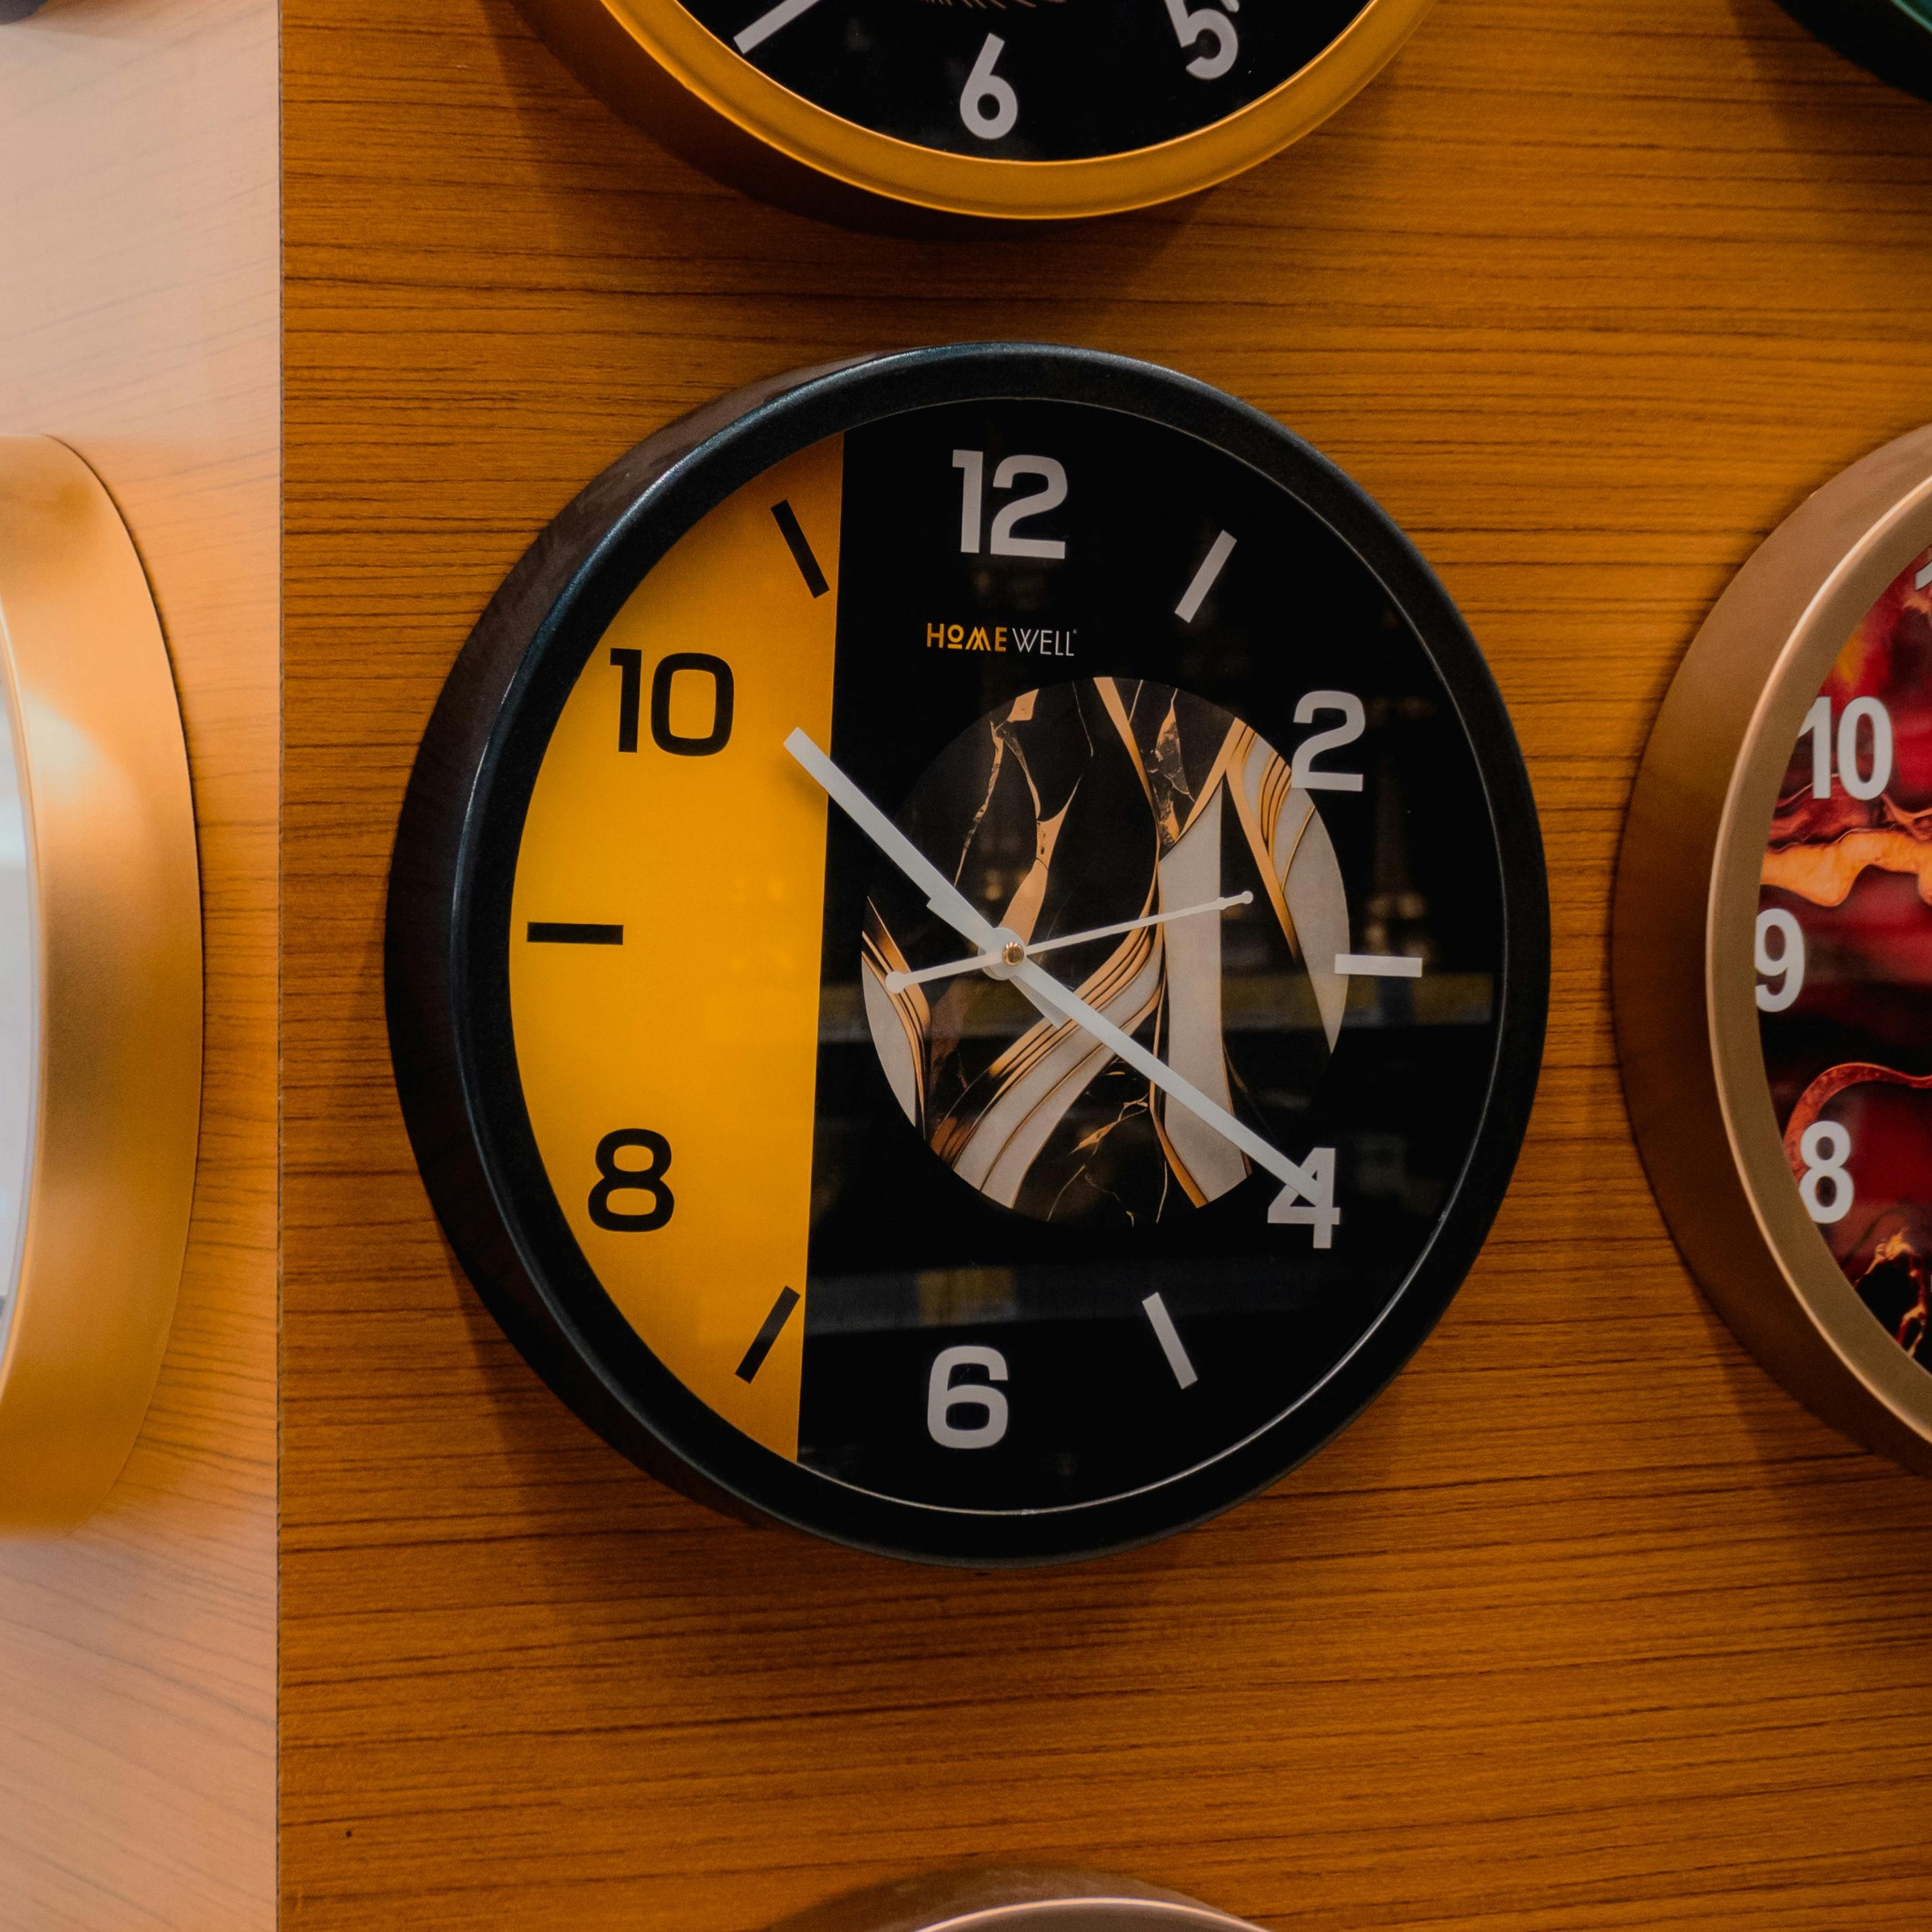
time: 10:20
